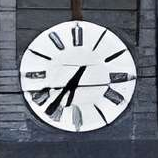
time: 6:36
